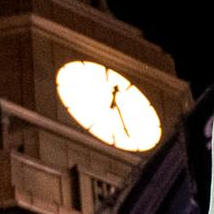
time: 12:26
